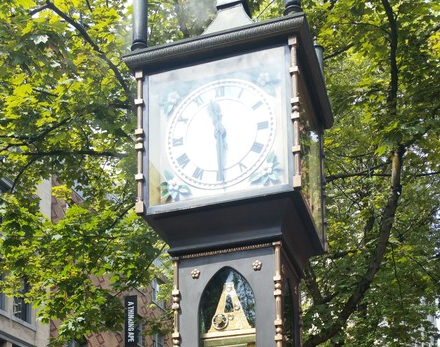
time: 11:29
